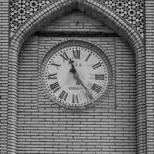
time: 11:23
